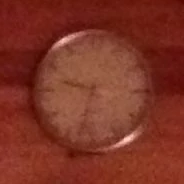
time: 9:32
